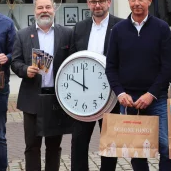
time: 10:00
